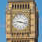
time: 9:17
